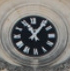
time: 11:06
